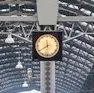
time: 11:40
